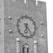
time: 6:23
